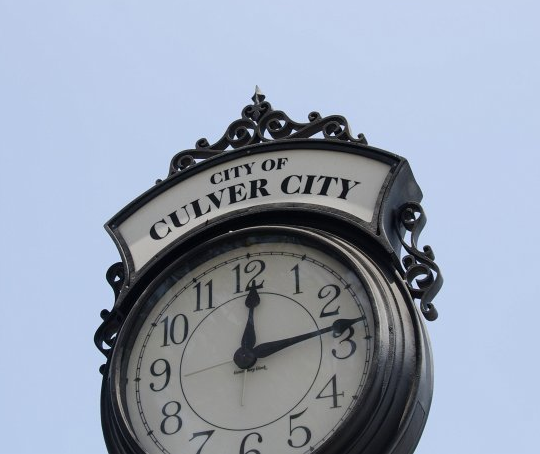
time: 12:13
